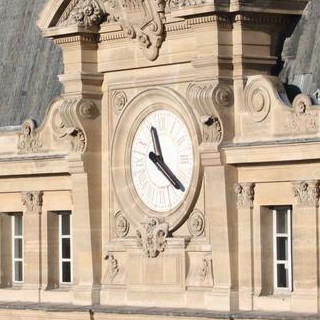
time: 11:20
